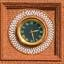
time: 2:27
